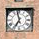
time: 6:57
